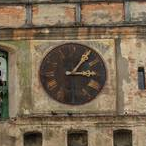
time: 3:05
